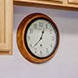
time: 12:37
